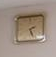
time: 2:26
